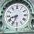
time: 8:34
